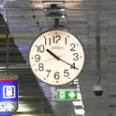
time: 10:20
